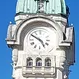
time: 4:50
